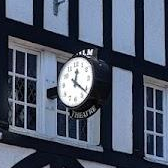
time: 12:21
